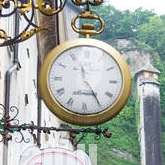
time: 11:24
